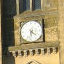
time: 4:31
